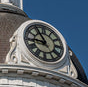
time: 8:54
